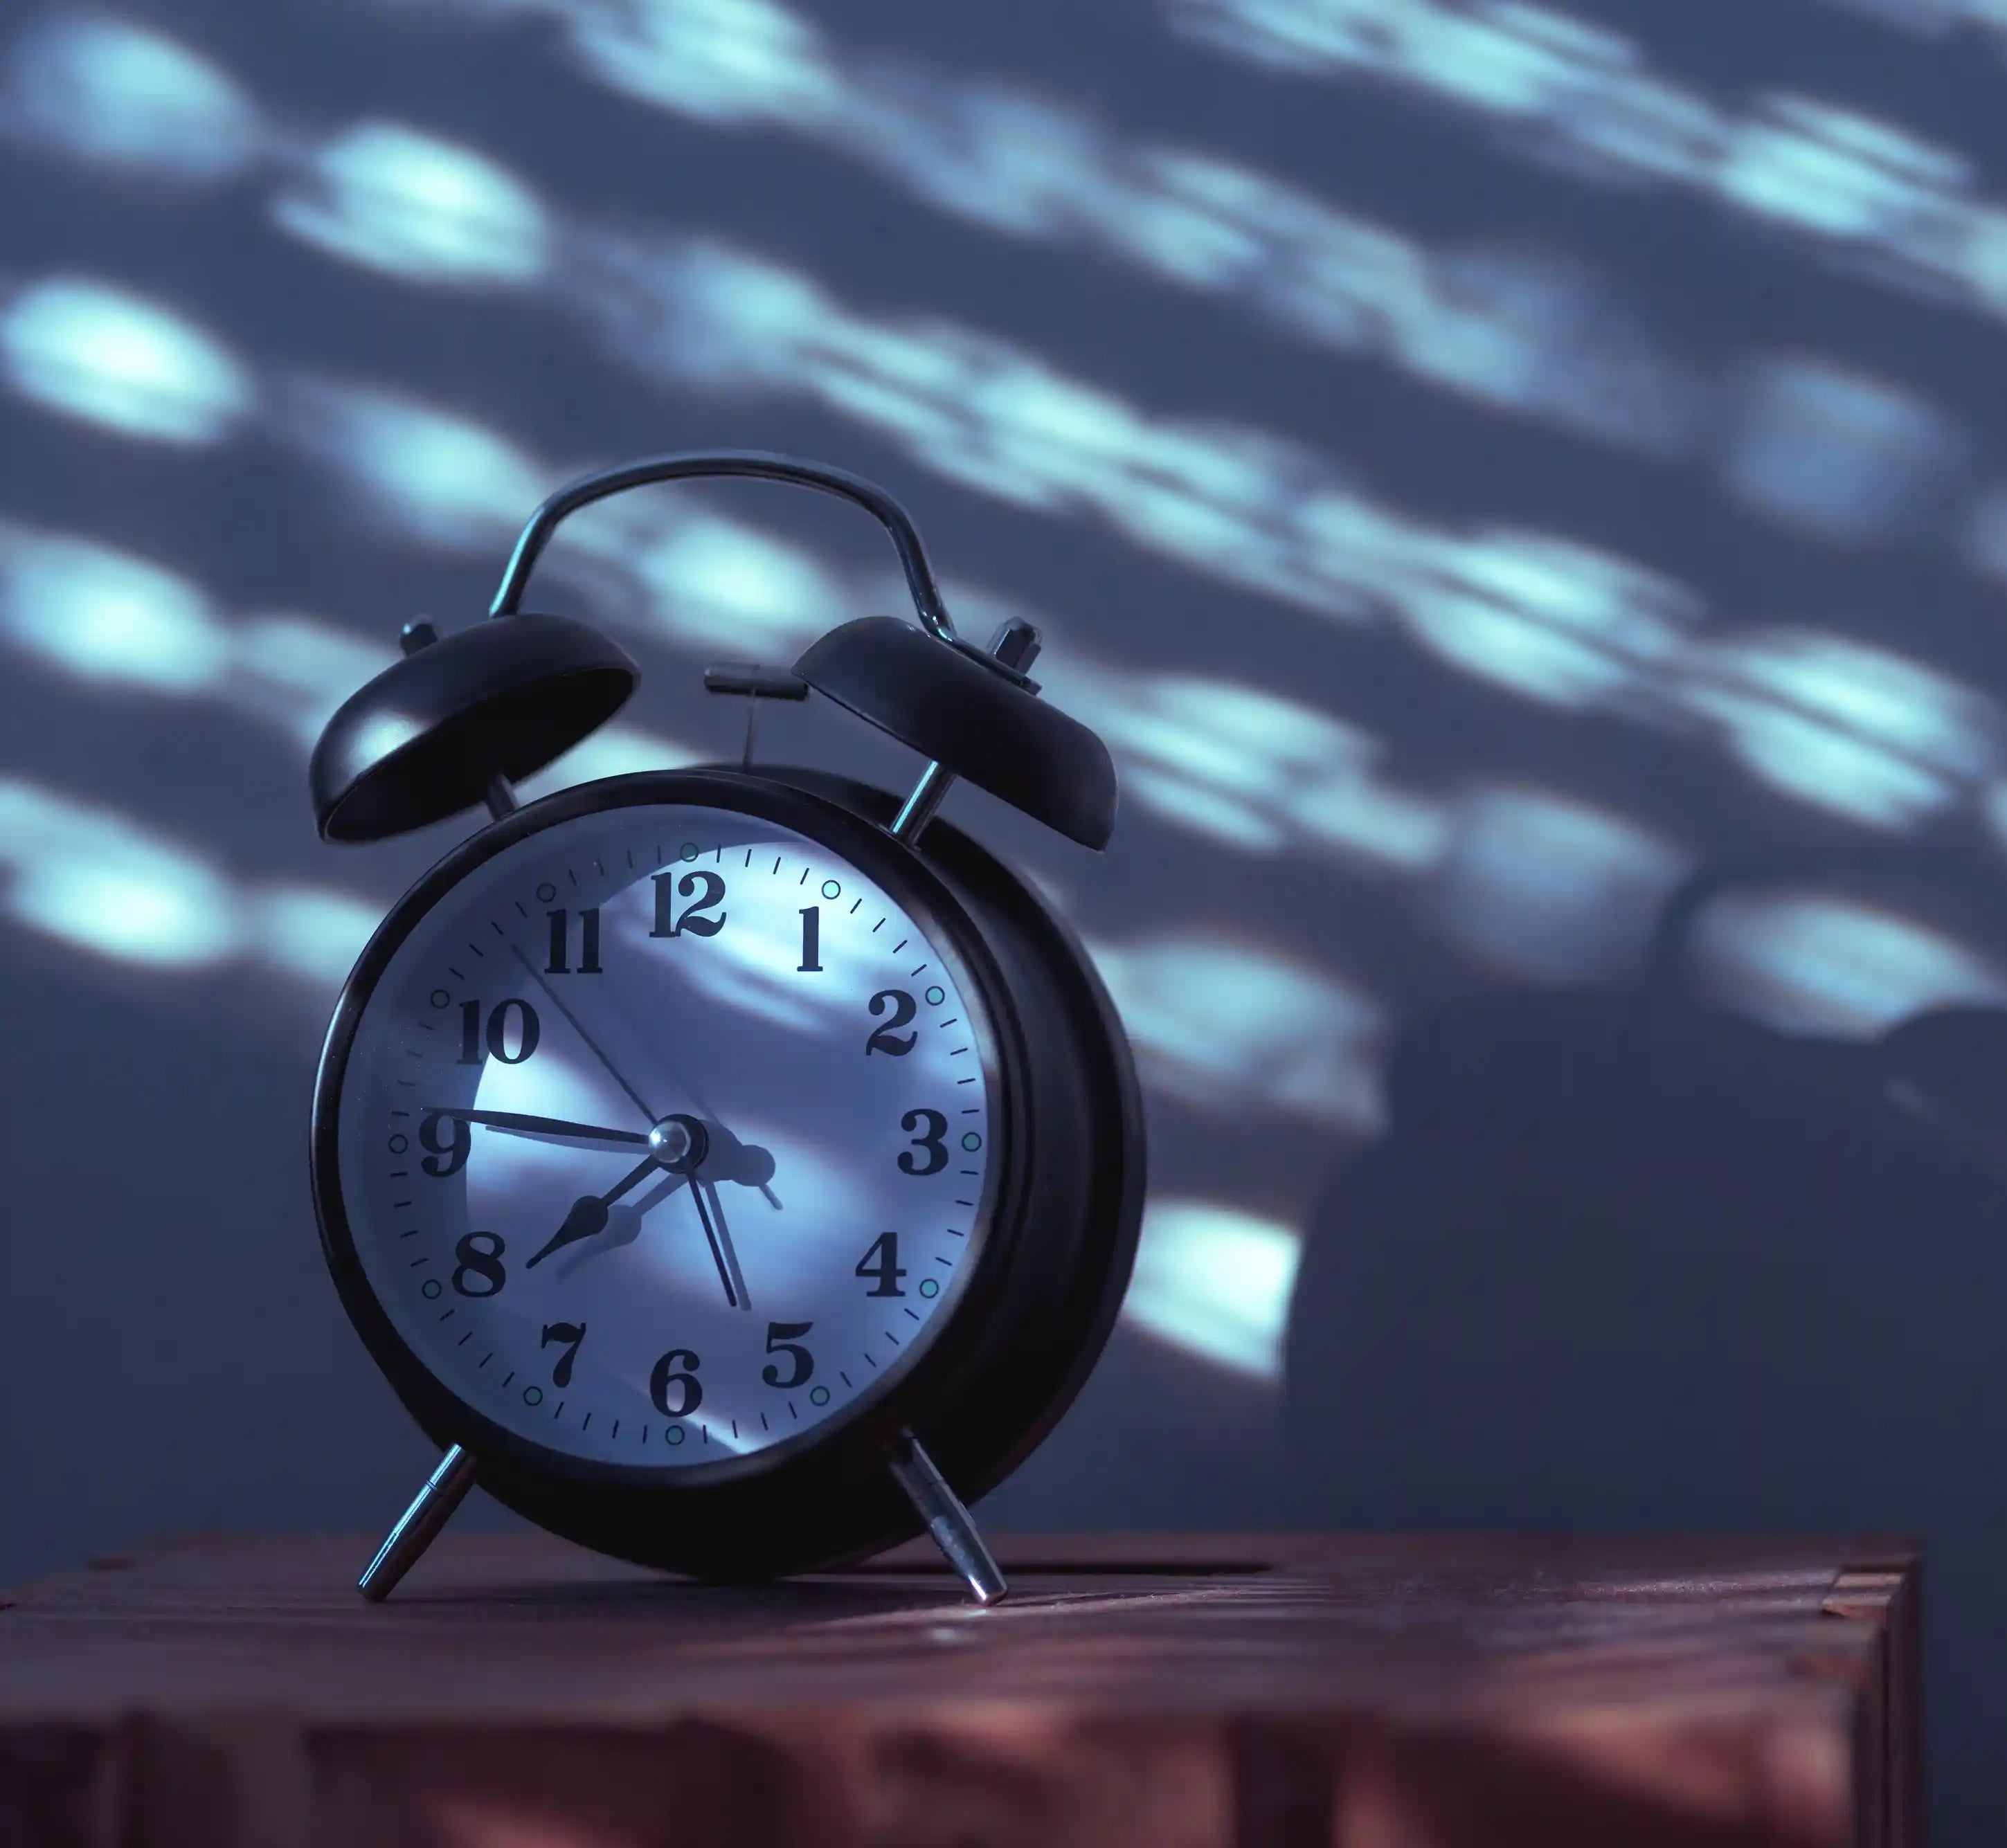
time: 7:46
